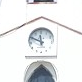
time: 11:49
